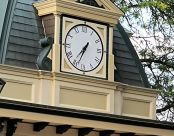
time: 7:34
